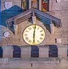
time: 6:01
